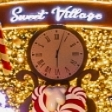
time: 6:03
